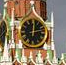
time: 12:13
